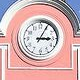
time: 3:04
